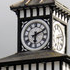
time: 6:11
